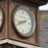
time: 8:41
